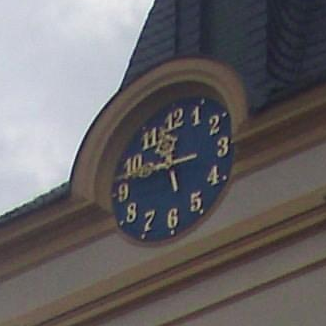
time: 11:46
